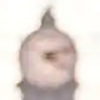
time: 4:12
